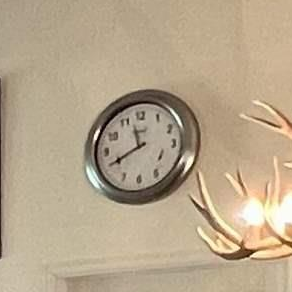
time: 11:40
